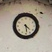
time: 4:28
